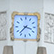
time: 3:37
